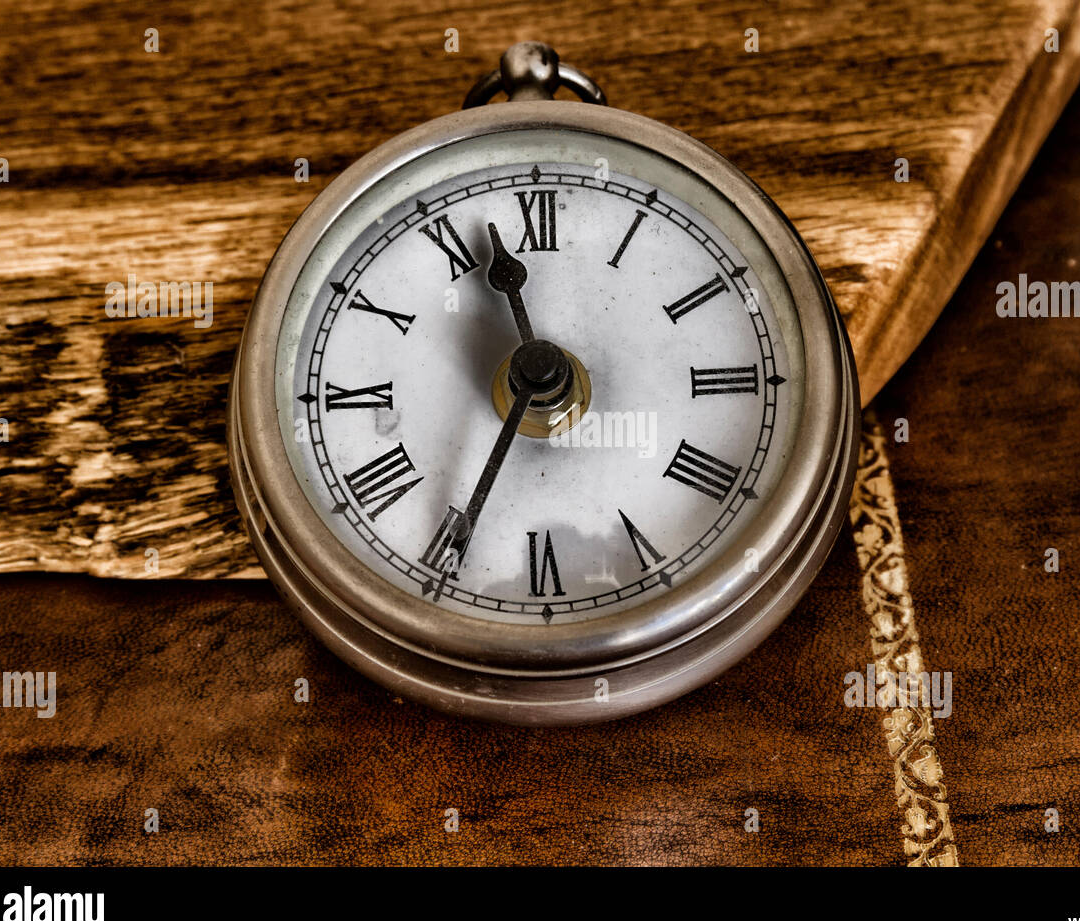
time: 11:34
